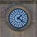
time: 1:20
